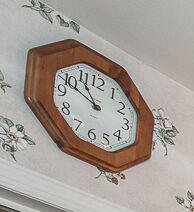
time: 10:48
